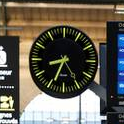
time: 8:34
